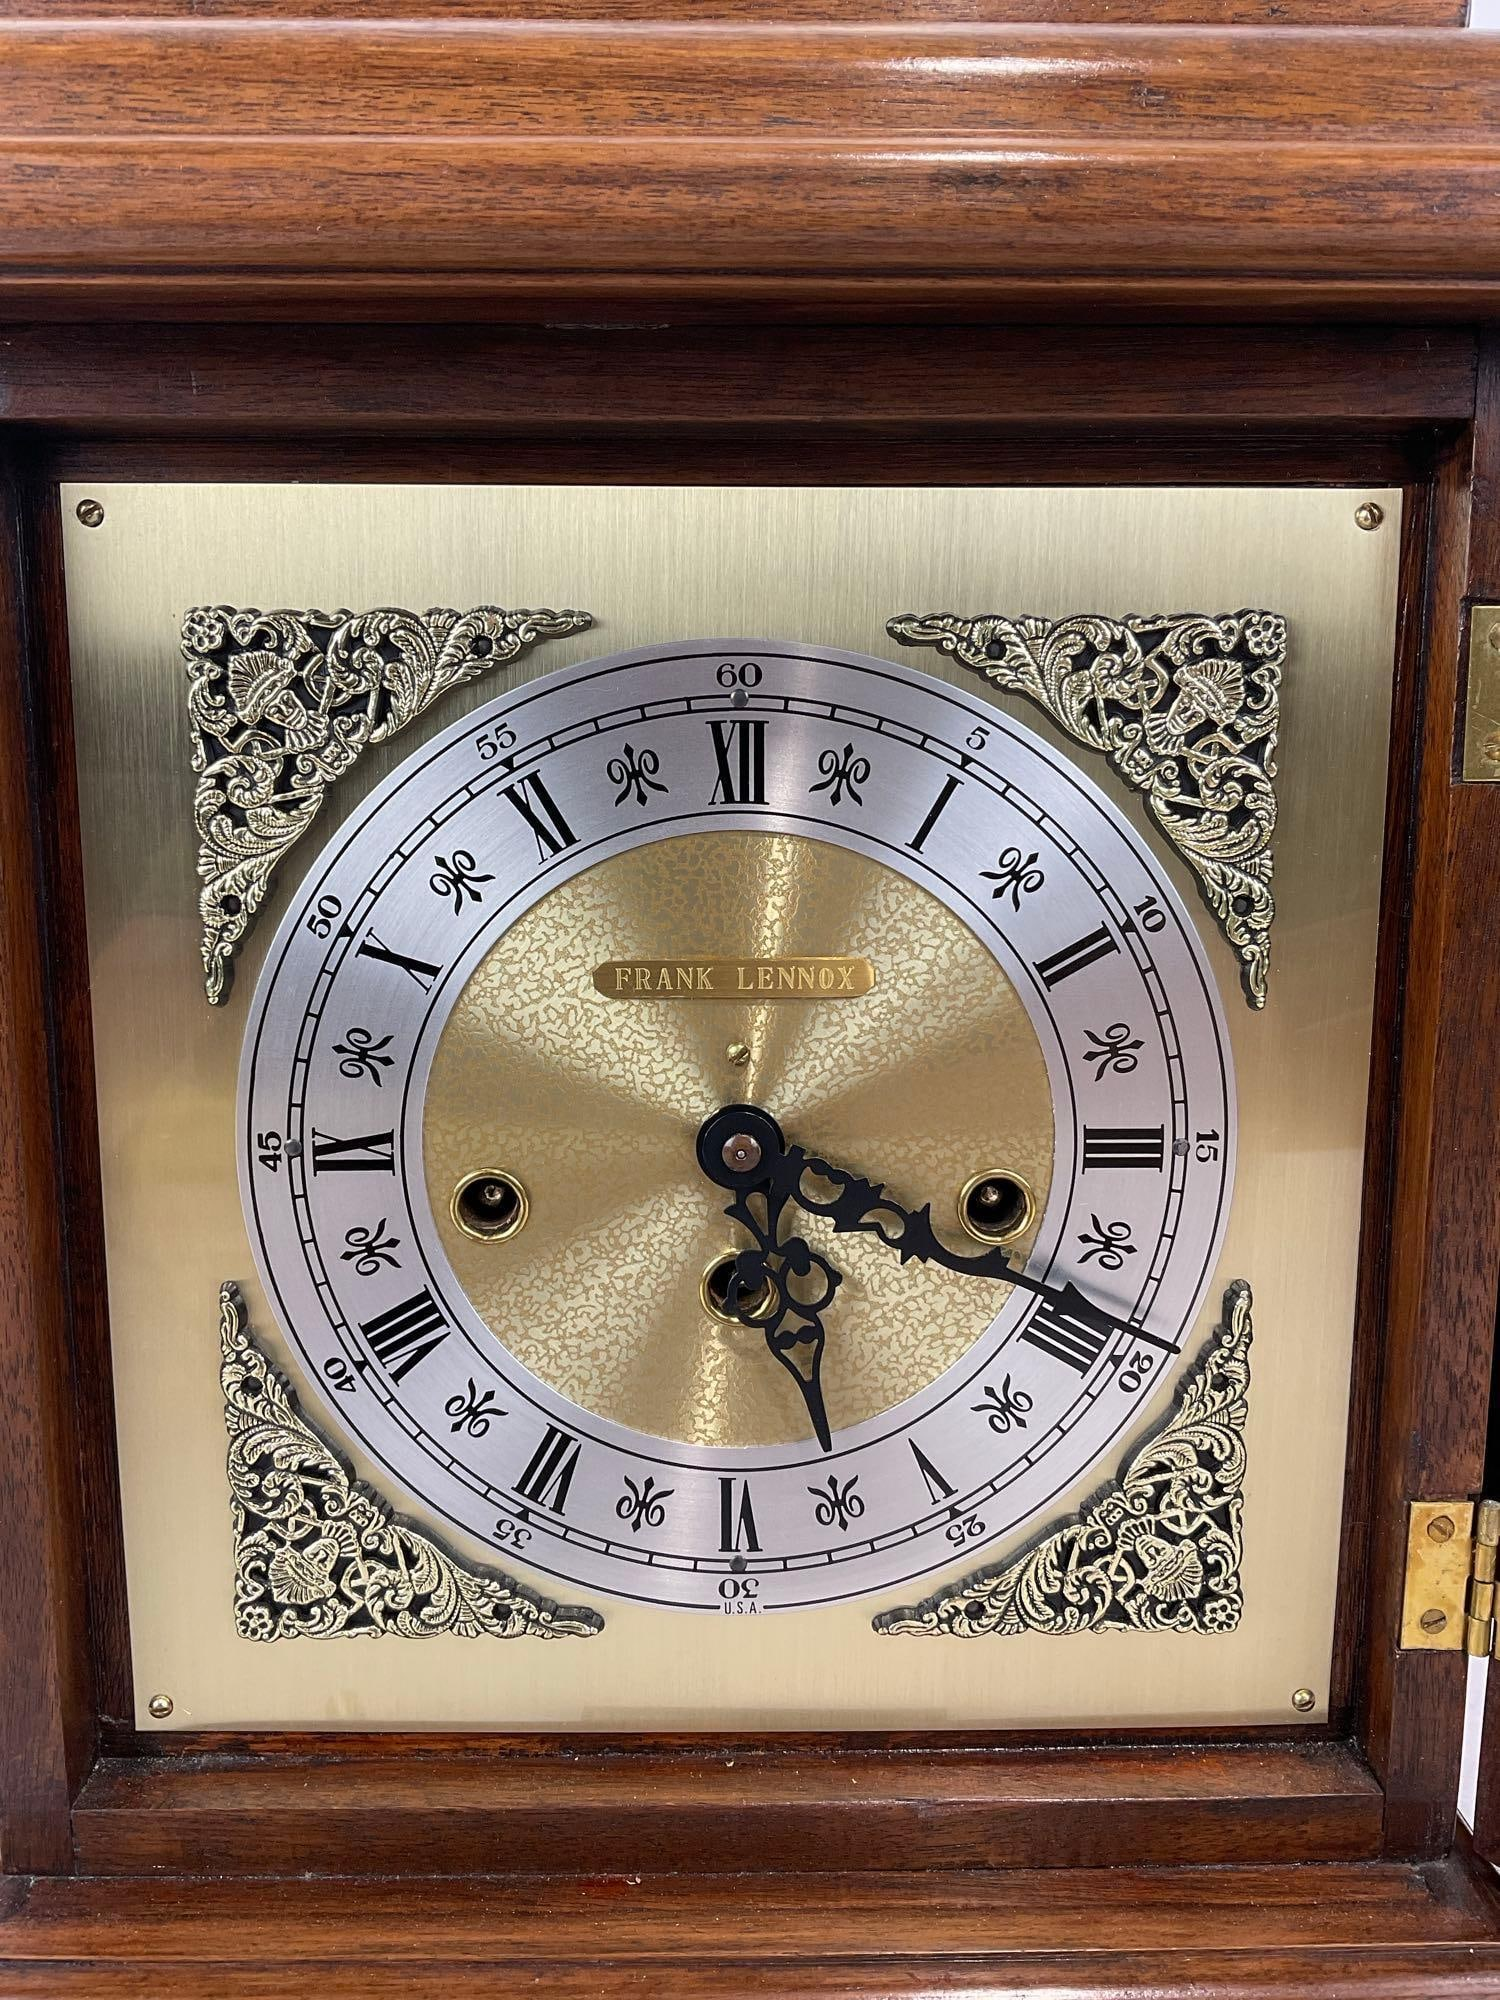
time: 5:18
